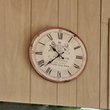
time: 10:37
